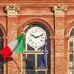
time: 10:11
